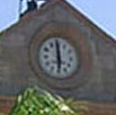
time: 5:59
